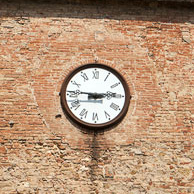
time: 2:46
